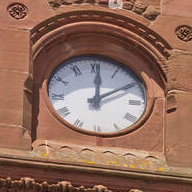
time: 12:09
